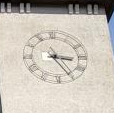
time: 3:24
